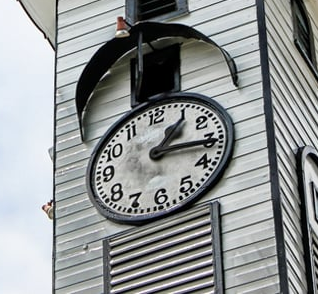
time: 1:16
